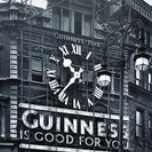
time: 10:37
